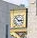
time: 2:52
